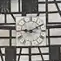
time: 9:10
